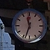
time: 11:33
